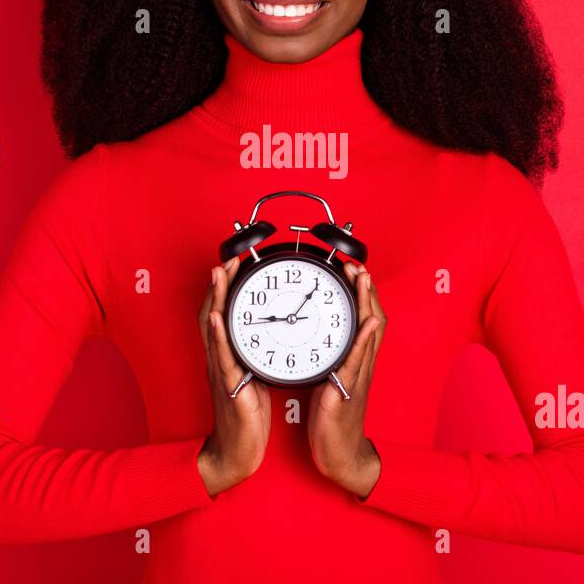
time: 9:06
